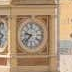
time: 9:37
